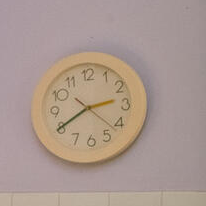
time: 2:40
